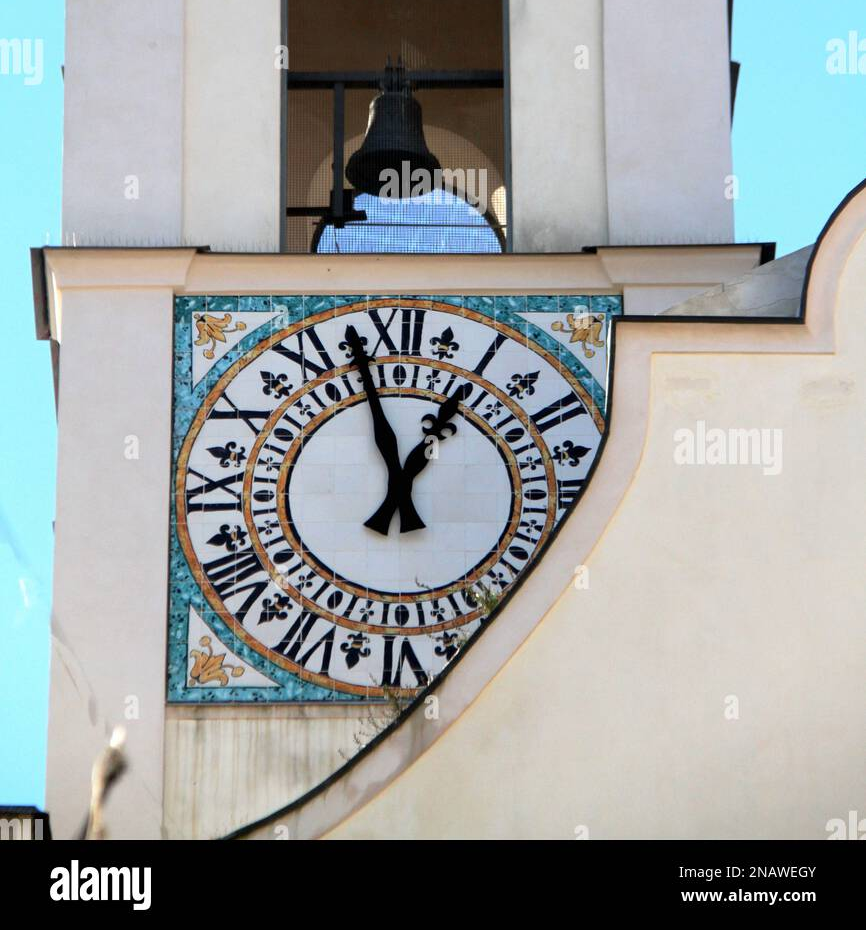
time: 12:57
